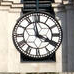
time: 3:58
